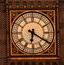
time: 6:20
